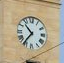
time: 10:36
